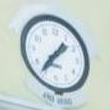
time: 1:36
